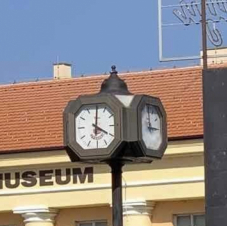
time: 4:01
